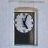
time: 5:03
